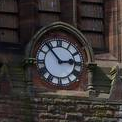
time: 2:53
